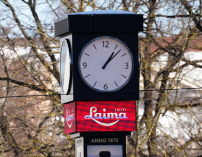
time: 1:07
